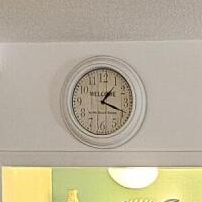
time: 1:18
